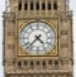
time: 4:37
